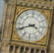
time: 3:41
